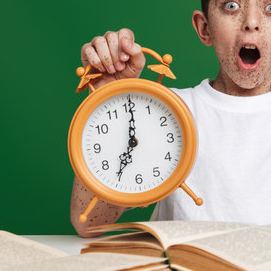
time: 7:00
